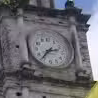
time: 2:36
